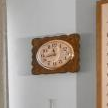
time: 11:42
